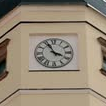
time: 3:55
